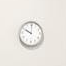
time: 10:00
